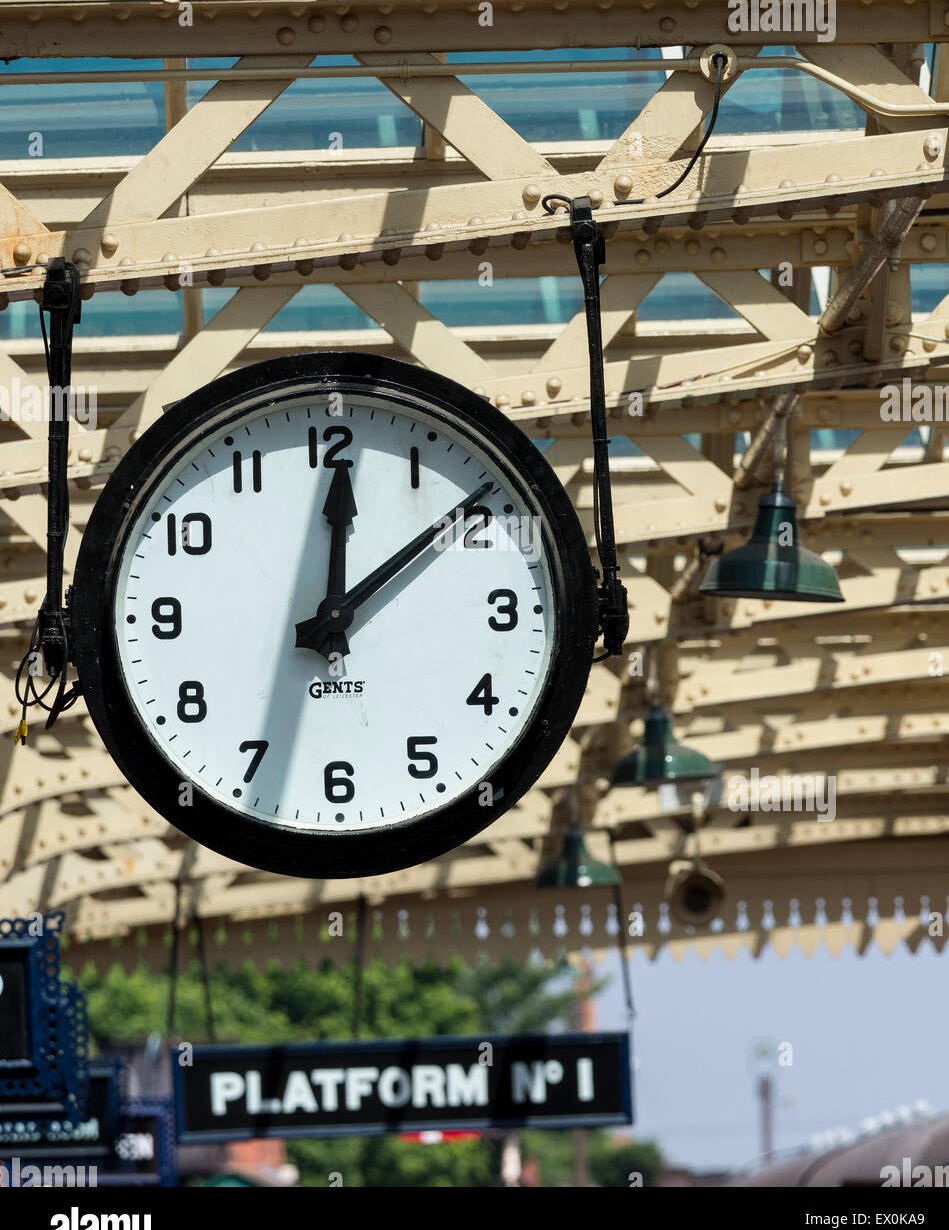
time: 12:08
